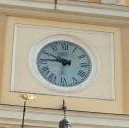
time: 9:45
